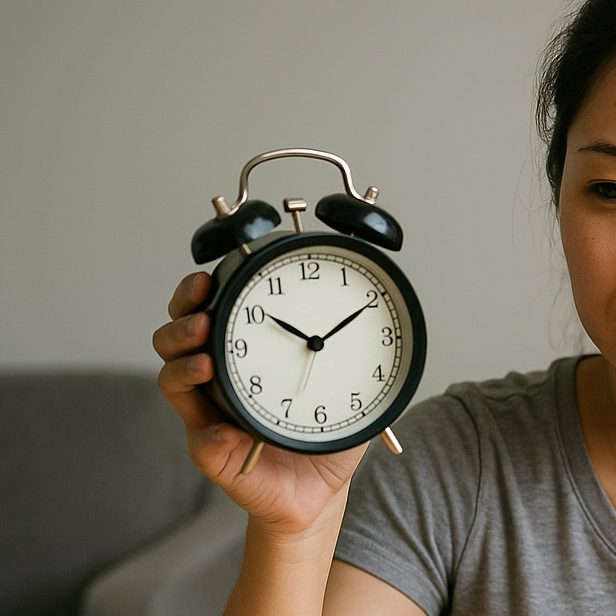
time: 10:10
